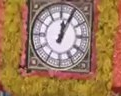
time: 12:04
